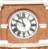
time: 9:56
